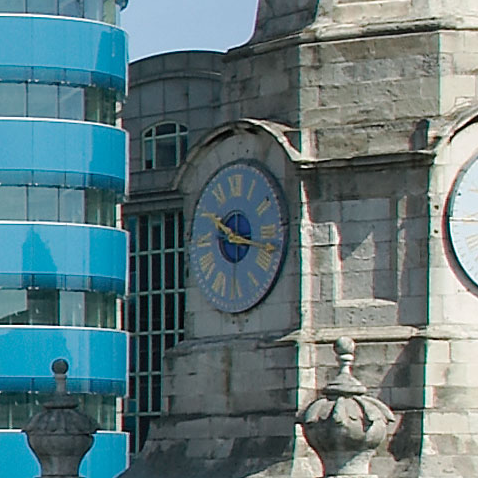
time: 10:18
